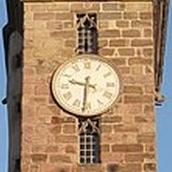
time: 9:31
